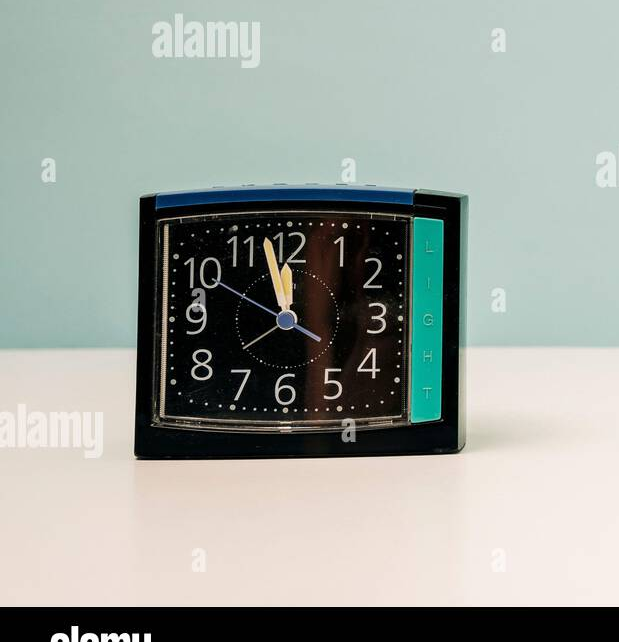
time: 11:57
